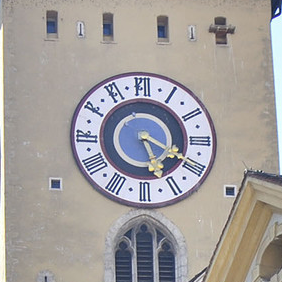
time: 5:18
